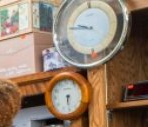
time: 9:45
